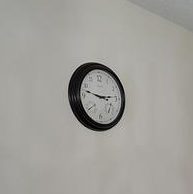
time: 2:47
